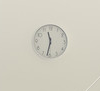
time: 11:32
